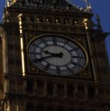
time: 9:41
